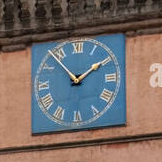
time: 1:53
